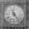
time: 11:23
